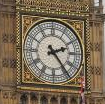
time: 2:23
